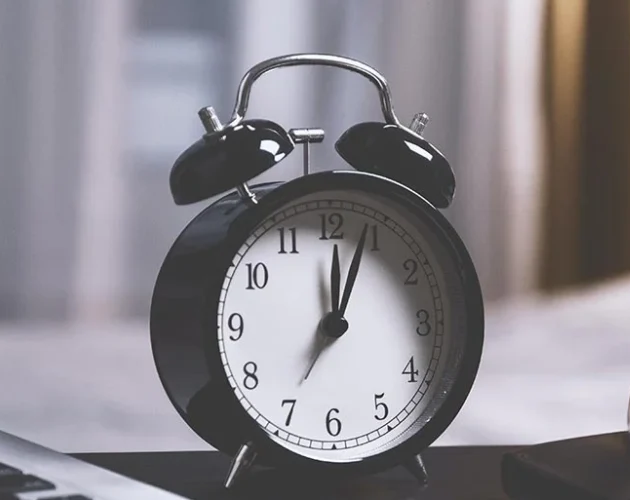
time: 12:03
